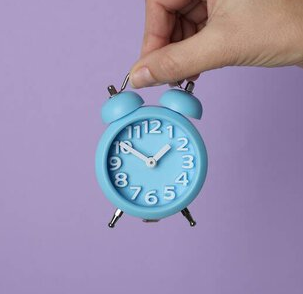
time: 1:50
